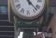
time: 11:22
